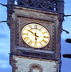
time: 5:50
